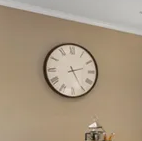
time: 2:25
